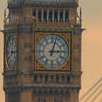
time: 3:02
